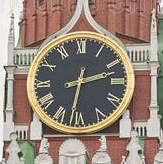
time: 2:32
